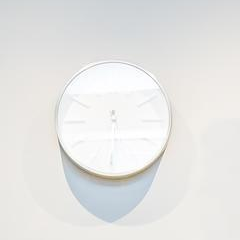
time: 5:30
